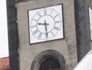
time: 9:29
